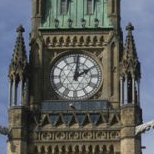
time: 2:01
